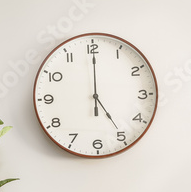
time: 5:00
